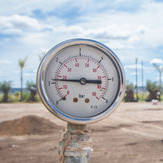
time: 2:43
